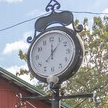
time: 12:06
